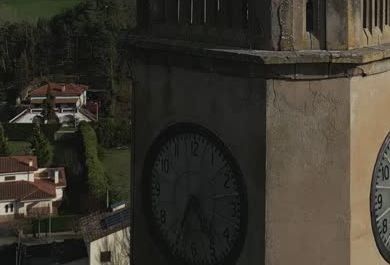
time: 4:35
